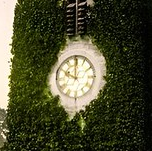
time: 10:00
